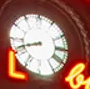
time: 8:41
